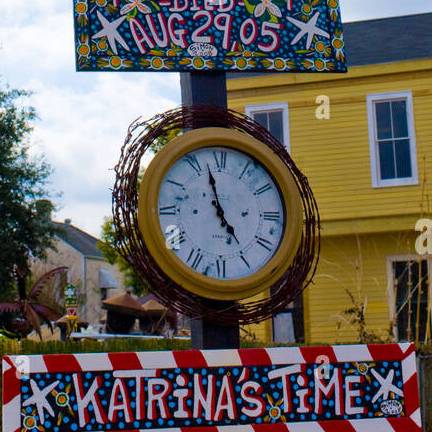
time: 4:57
